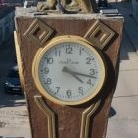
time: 4:17
